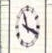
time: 11:18
